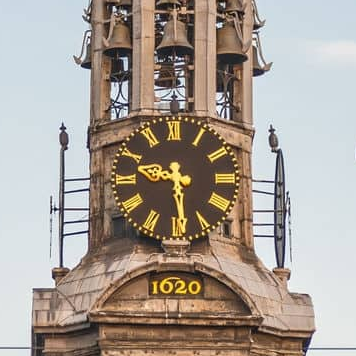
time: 9:29
